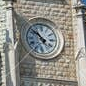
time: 4:52
